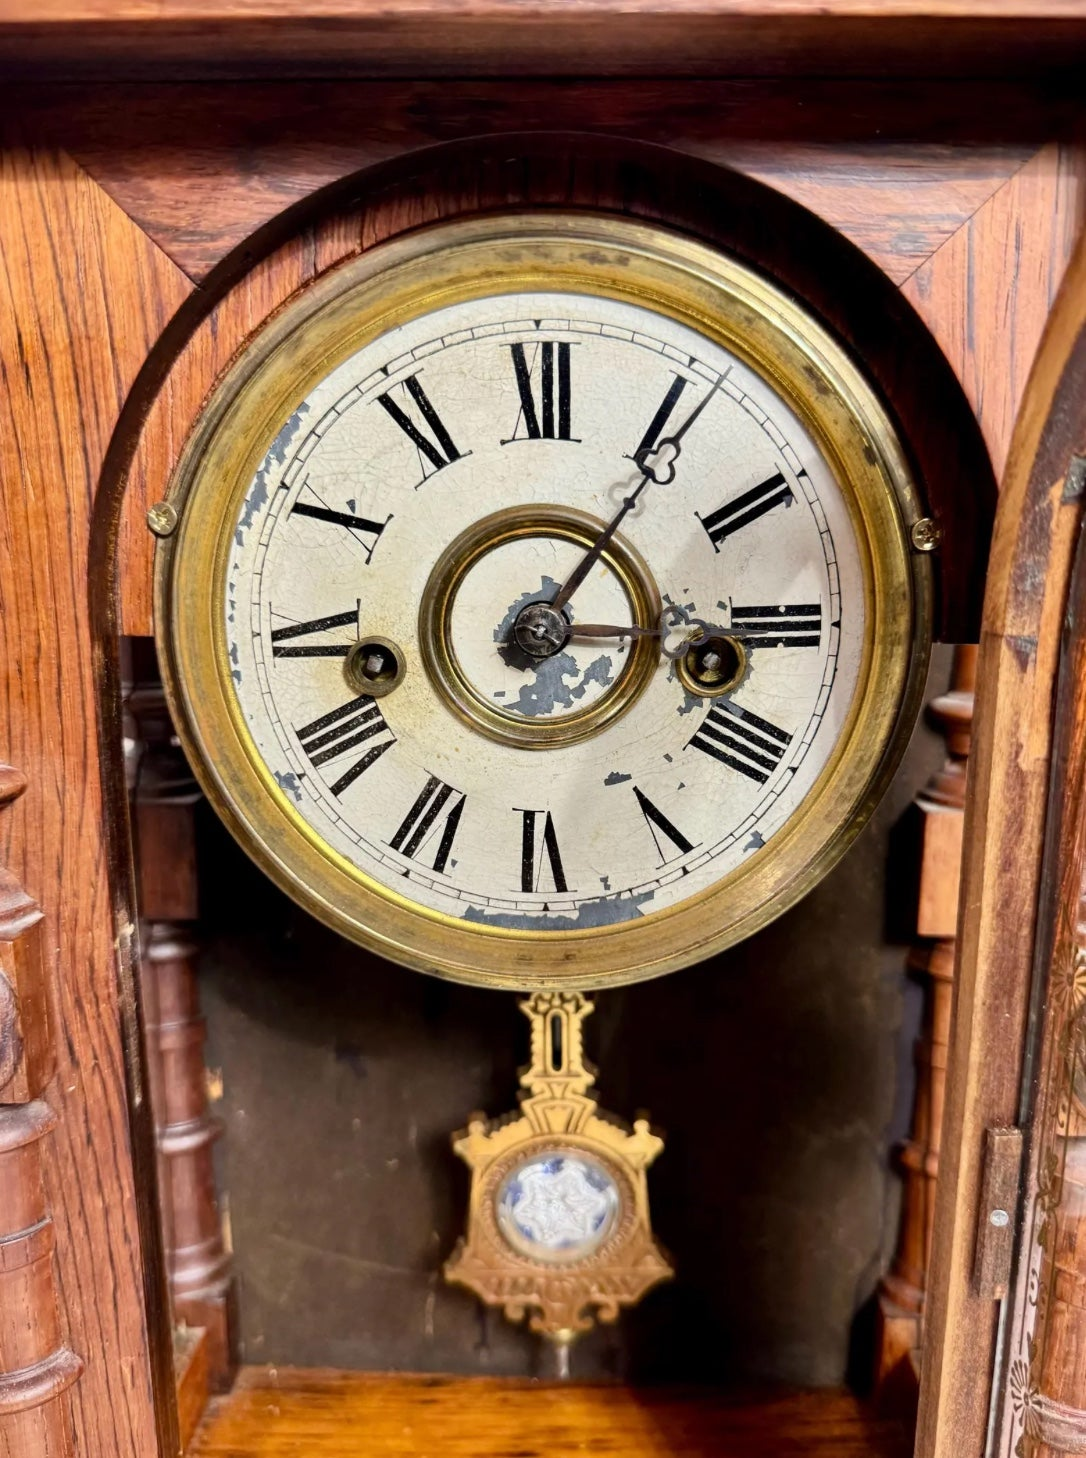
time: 3:05
